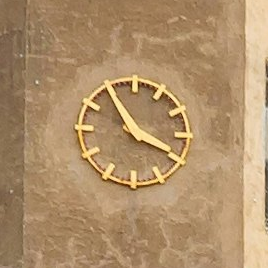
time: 3:54
